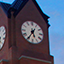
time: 5:35
